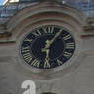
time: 6:05
